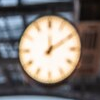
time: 12:09
